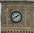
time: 1:41
